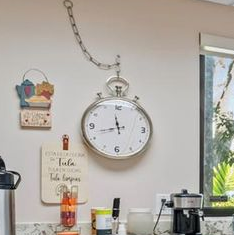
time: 11:42
